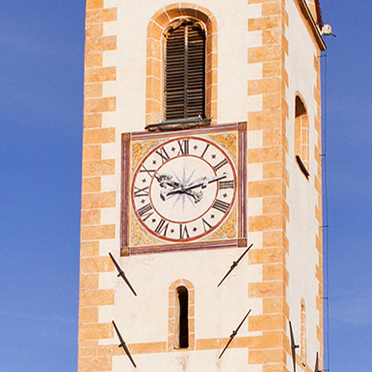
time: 9:12
